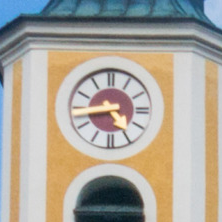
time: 4:43
